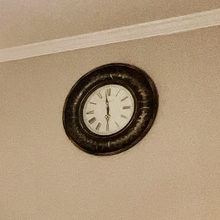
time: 5:58
